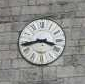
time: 3:43
